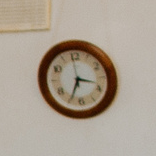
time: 3:34
